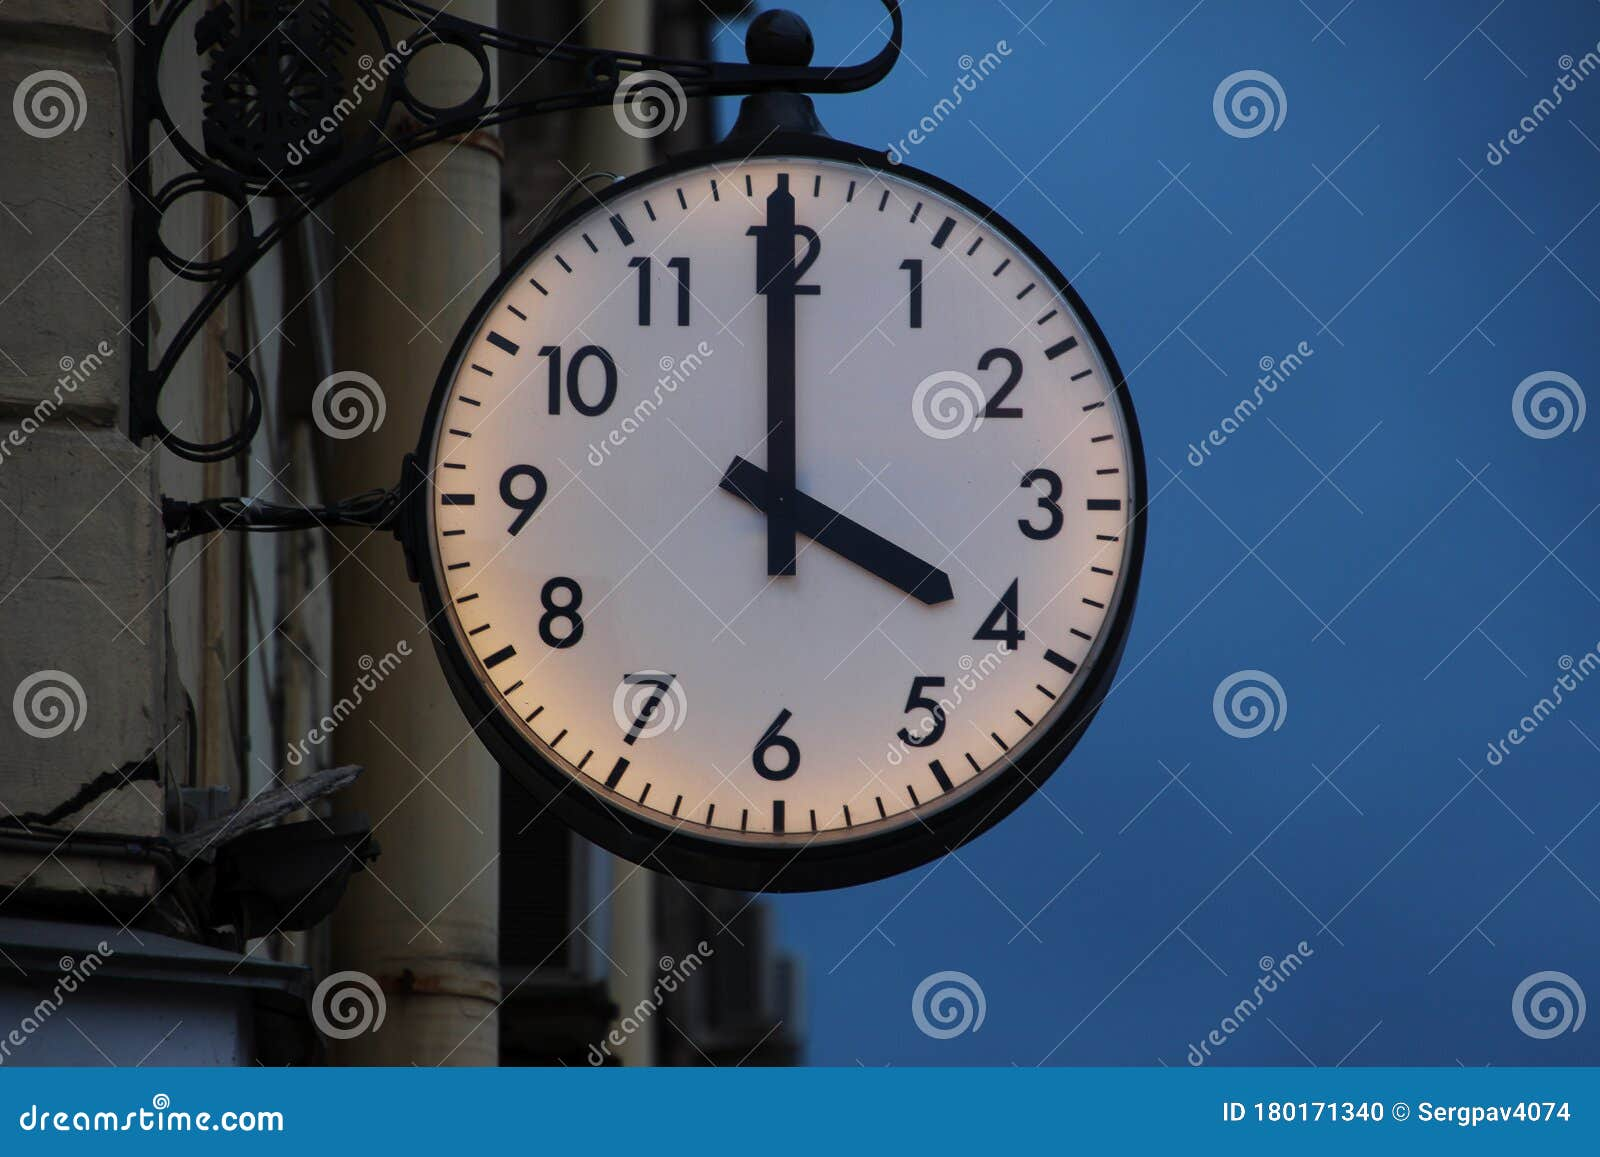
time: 3:59
